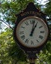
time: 1:02
